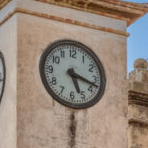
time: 5:17
